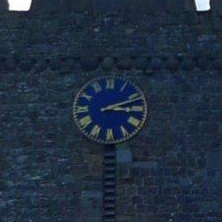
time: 3:11
